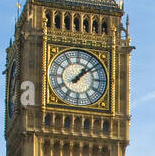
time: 1:08
